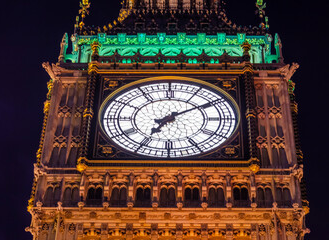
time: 7:09
